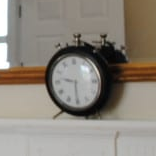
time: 9:30
